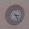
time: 3:24
